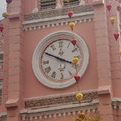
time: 3:49
